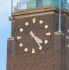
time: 4:24
